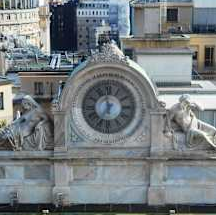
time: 6:58
